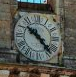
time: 10:23
